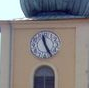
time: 11:25
